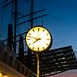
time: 7:47
